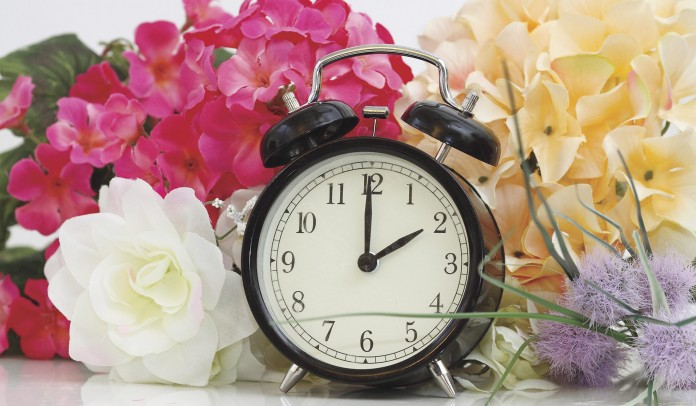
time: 2:00
